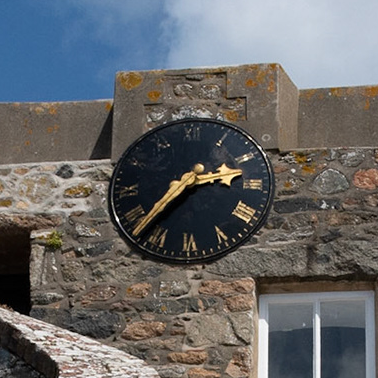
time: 2:37
